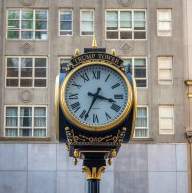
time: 3:34
